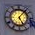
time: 5:06
